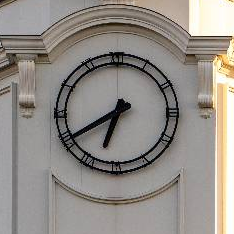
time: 6:39
